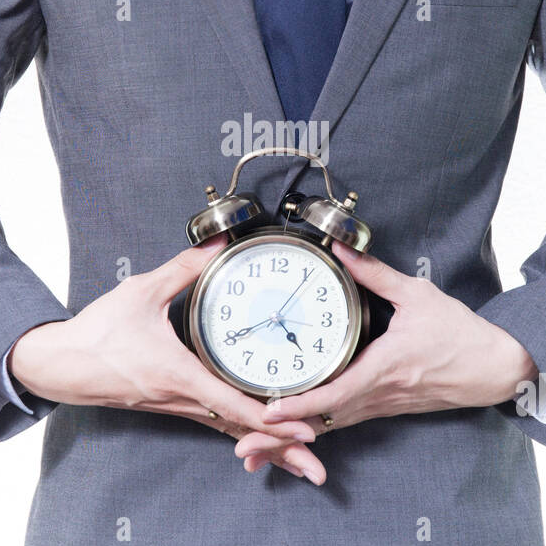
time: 4:40
